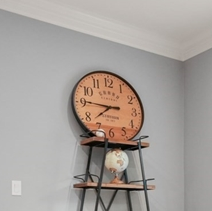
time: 7:45
